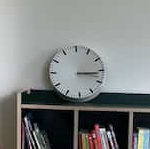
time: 3:15
